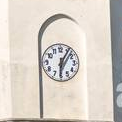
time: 6:05
